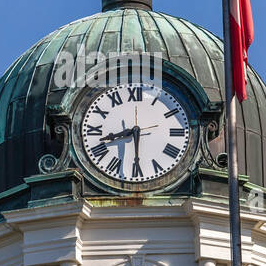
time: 8:29
